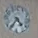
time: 4:35
